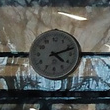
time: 4:11
